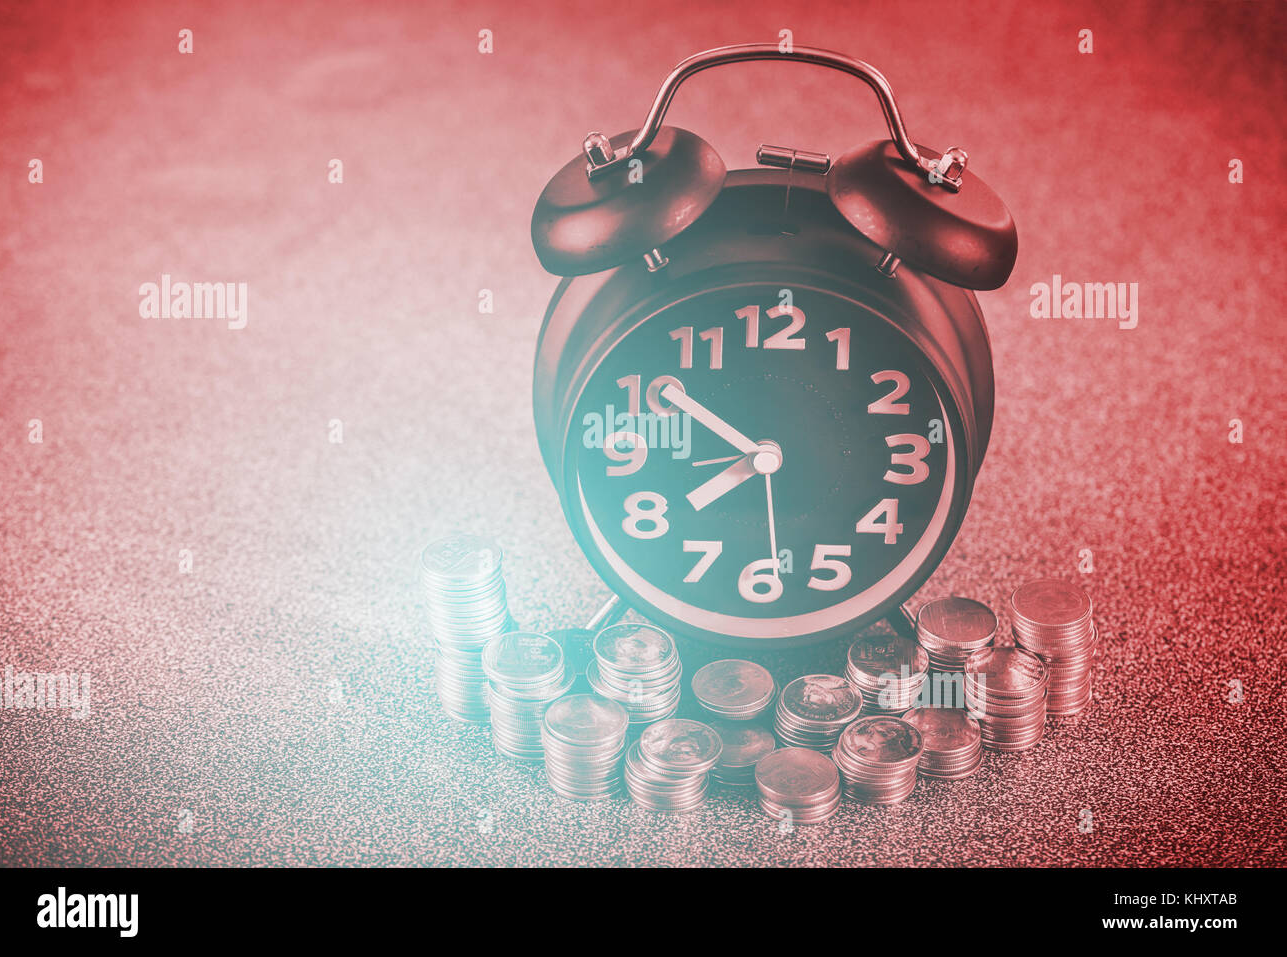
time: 7:50
